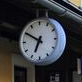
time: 6:50
